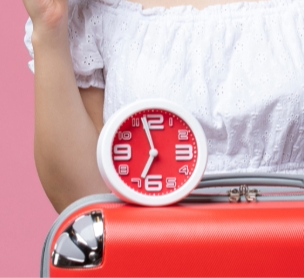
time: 6:57
